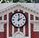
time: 2:01
